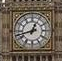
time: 12:42
